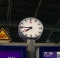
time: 7:45
